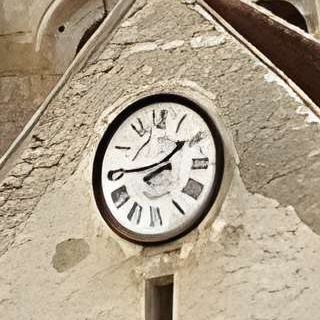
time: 1:44
